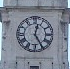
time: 12:24
